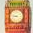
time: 8:47
